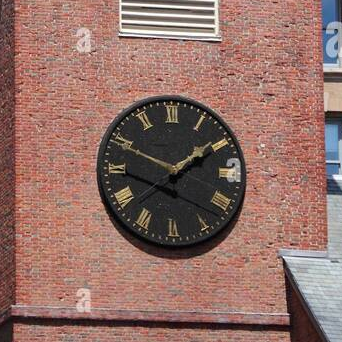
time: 1:49
